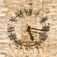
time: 5:16
